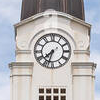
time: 7:32
